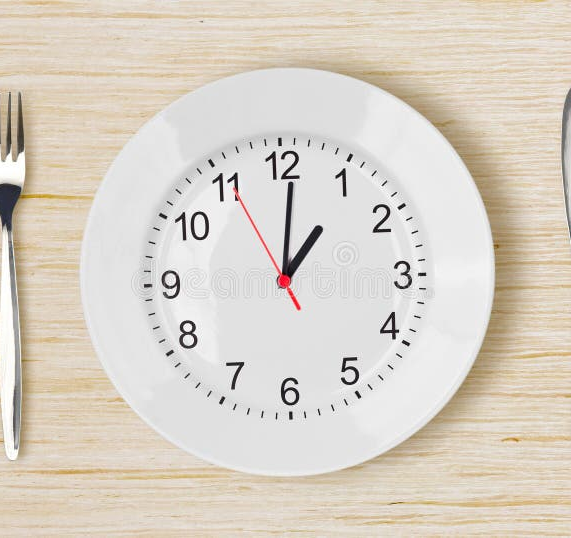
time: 1:00
